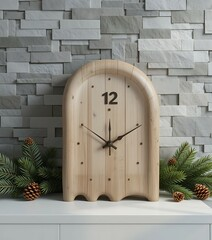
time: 12:10
